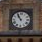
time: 10:55
